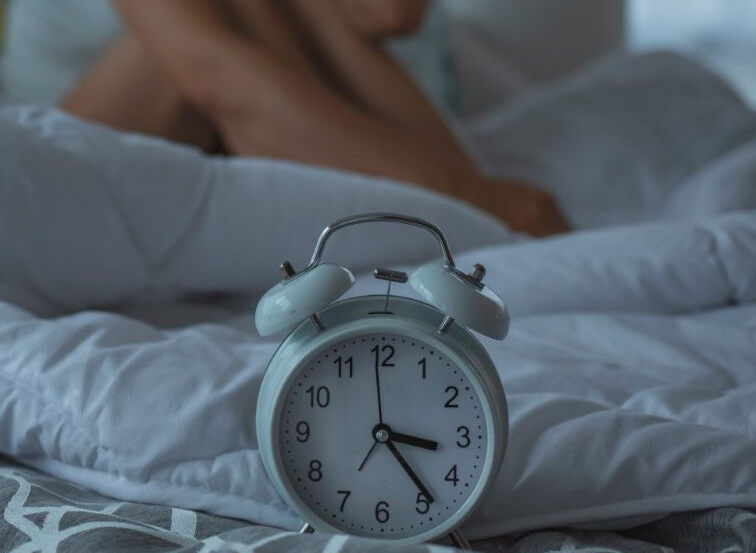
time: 3:23
